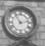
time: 11:12
